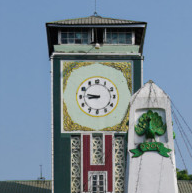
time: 8:46
